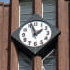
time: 1:56
